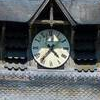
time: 4:36
